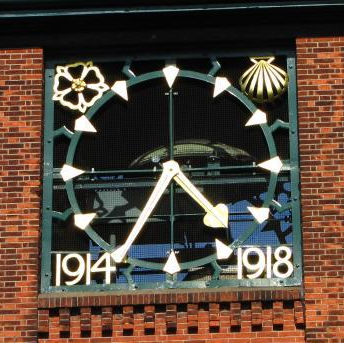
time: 4:35
